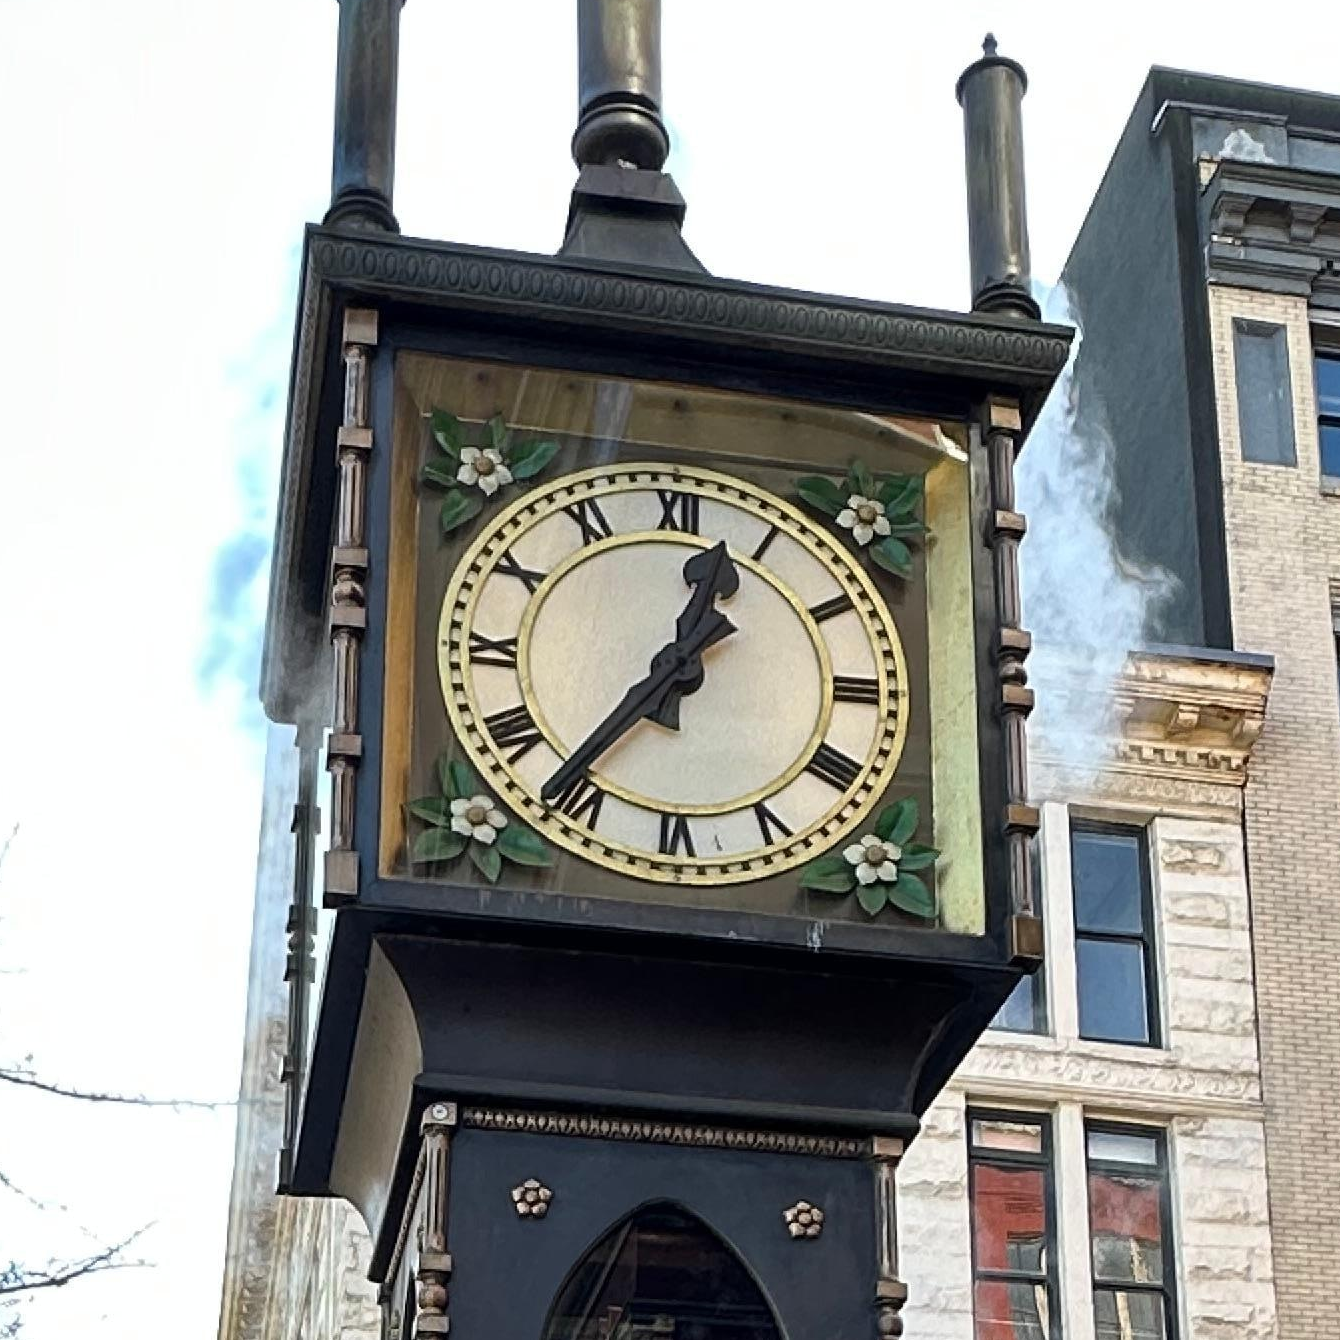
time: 12:36
